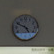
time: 4:49
